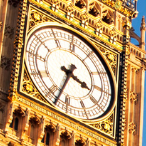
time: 3:33
